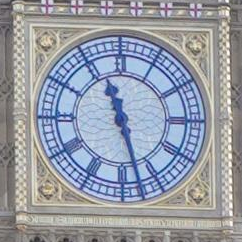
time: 11:27
